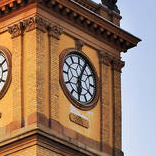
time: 6:04
